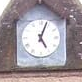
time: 5:03
